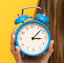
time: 3:07
